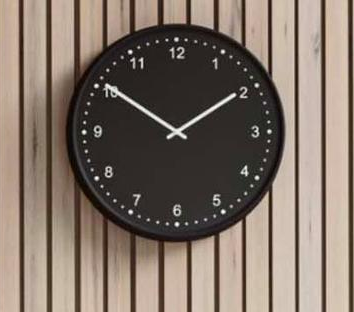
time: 1:50
